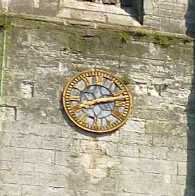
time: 8:12
